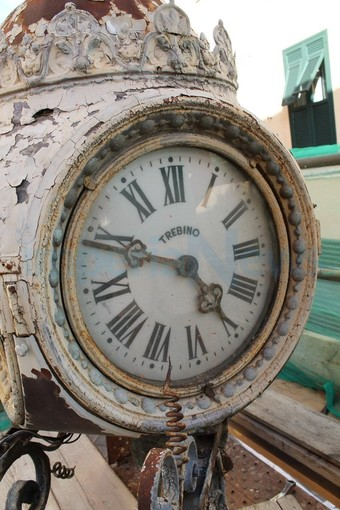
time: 4:48
